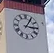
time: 3:05
